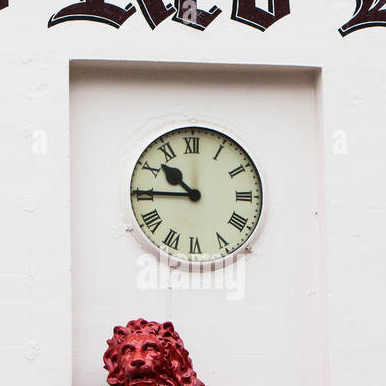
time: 10:45
